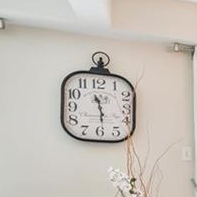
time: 11:28
